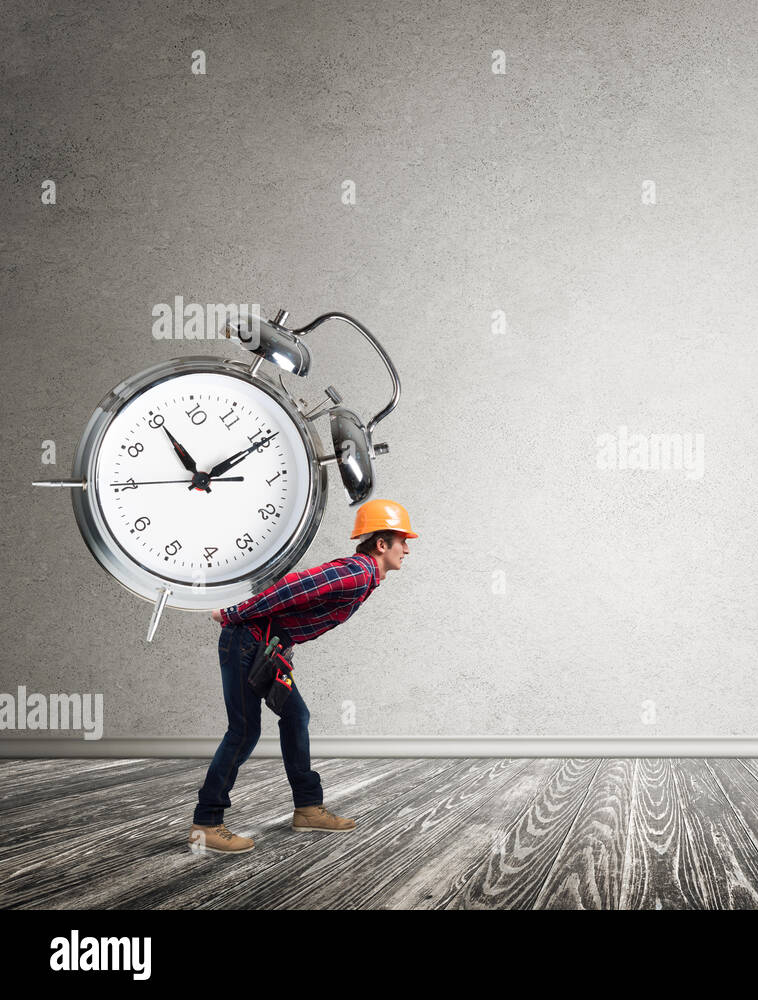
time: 11:10
